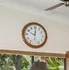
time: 10:00
